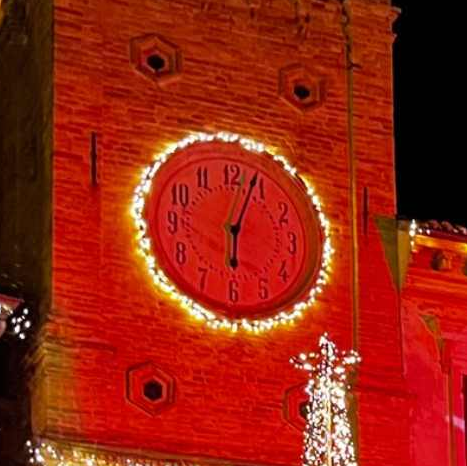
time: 6:03
